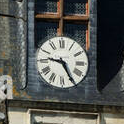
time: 9:25
